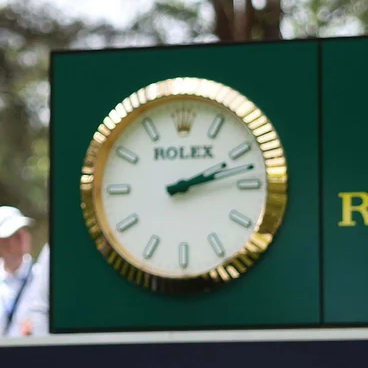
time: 2:12
